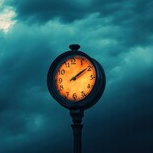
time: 2:09
